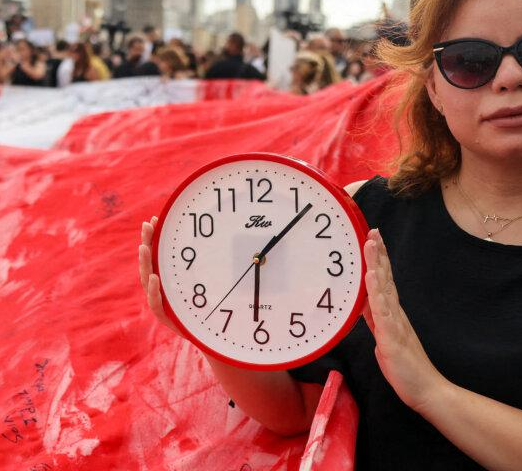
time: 6:07
